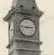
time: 2:46
